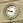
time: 9:48
